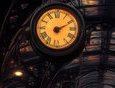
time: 2:10
